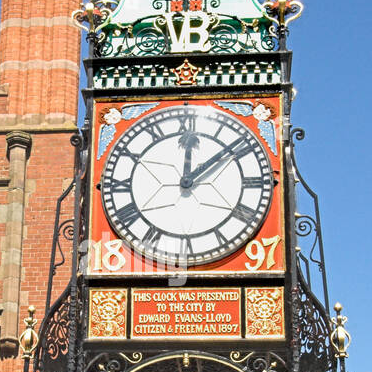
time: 12:08
